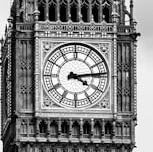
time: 4:13
